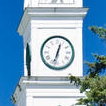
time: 12:33
